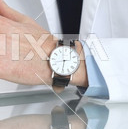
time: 8:30
